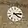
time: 4:13
